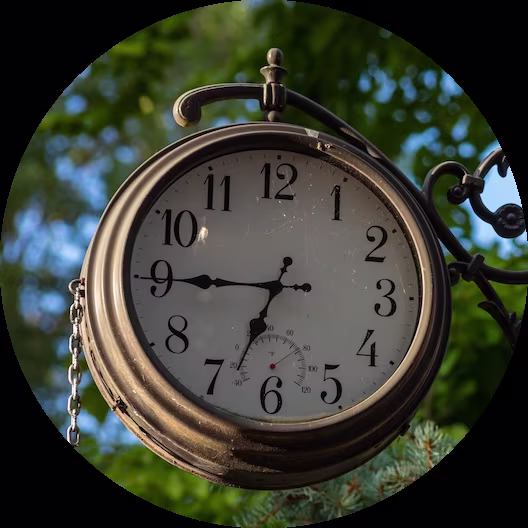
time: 6:45
